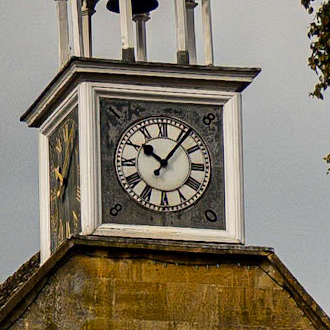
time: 10:06
